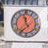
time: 11:37
